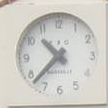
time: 10:37
